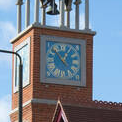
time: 12:53
